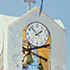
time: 1:53
